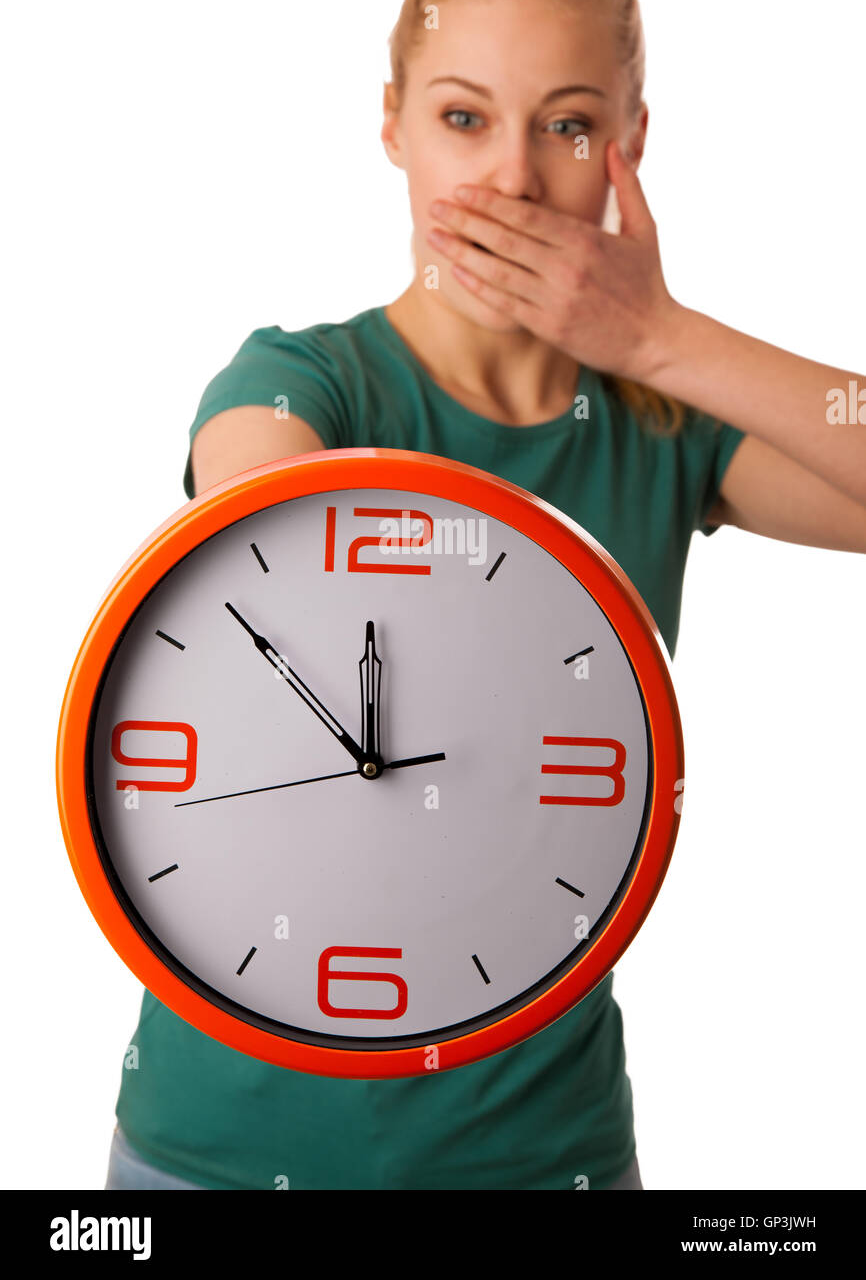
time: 11:52
